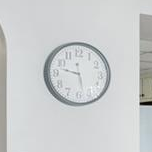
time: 9:28
